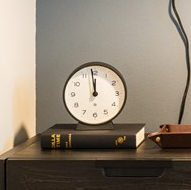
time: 11:58
